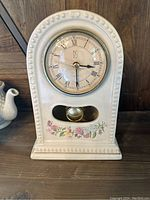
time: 3:29
